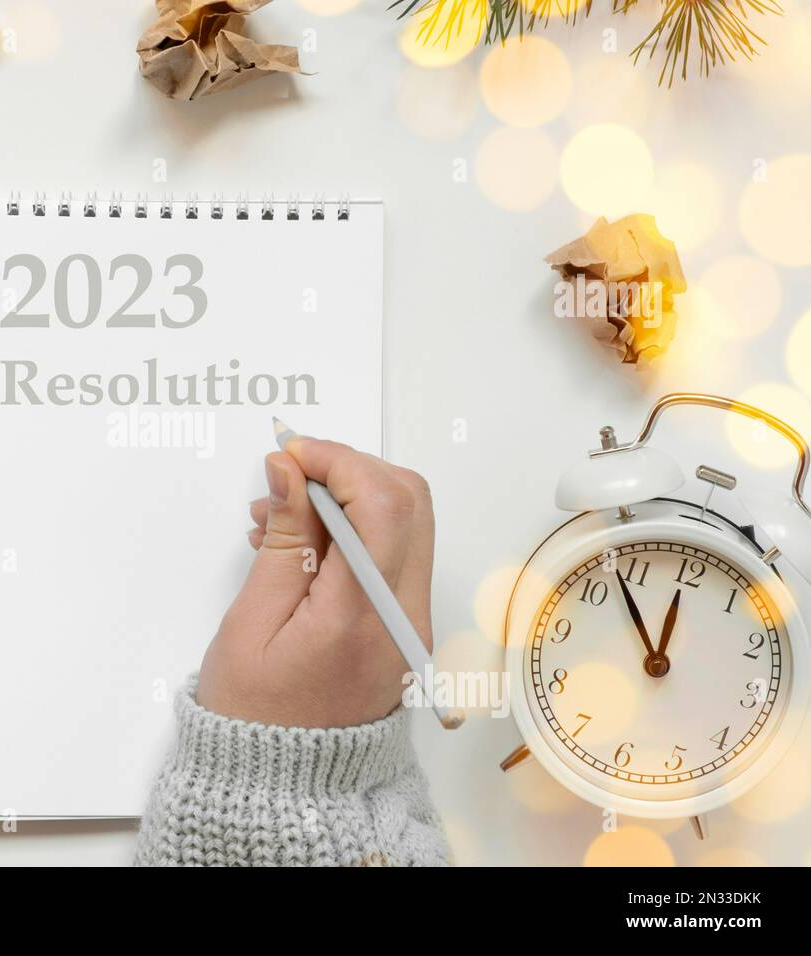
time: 11:52
